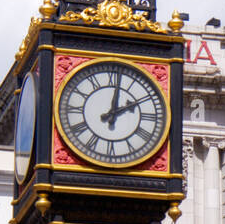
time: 2:01
